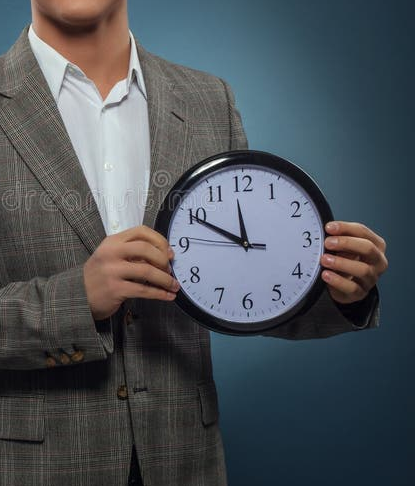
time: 11:49
